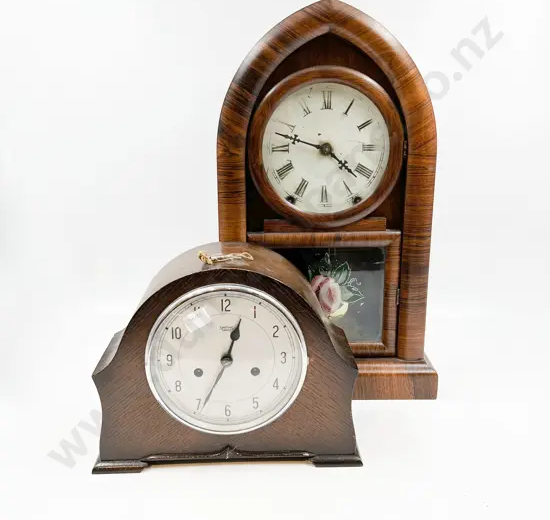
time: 12:34
